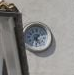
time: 5:06
